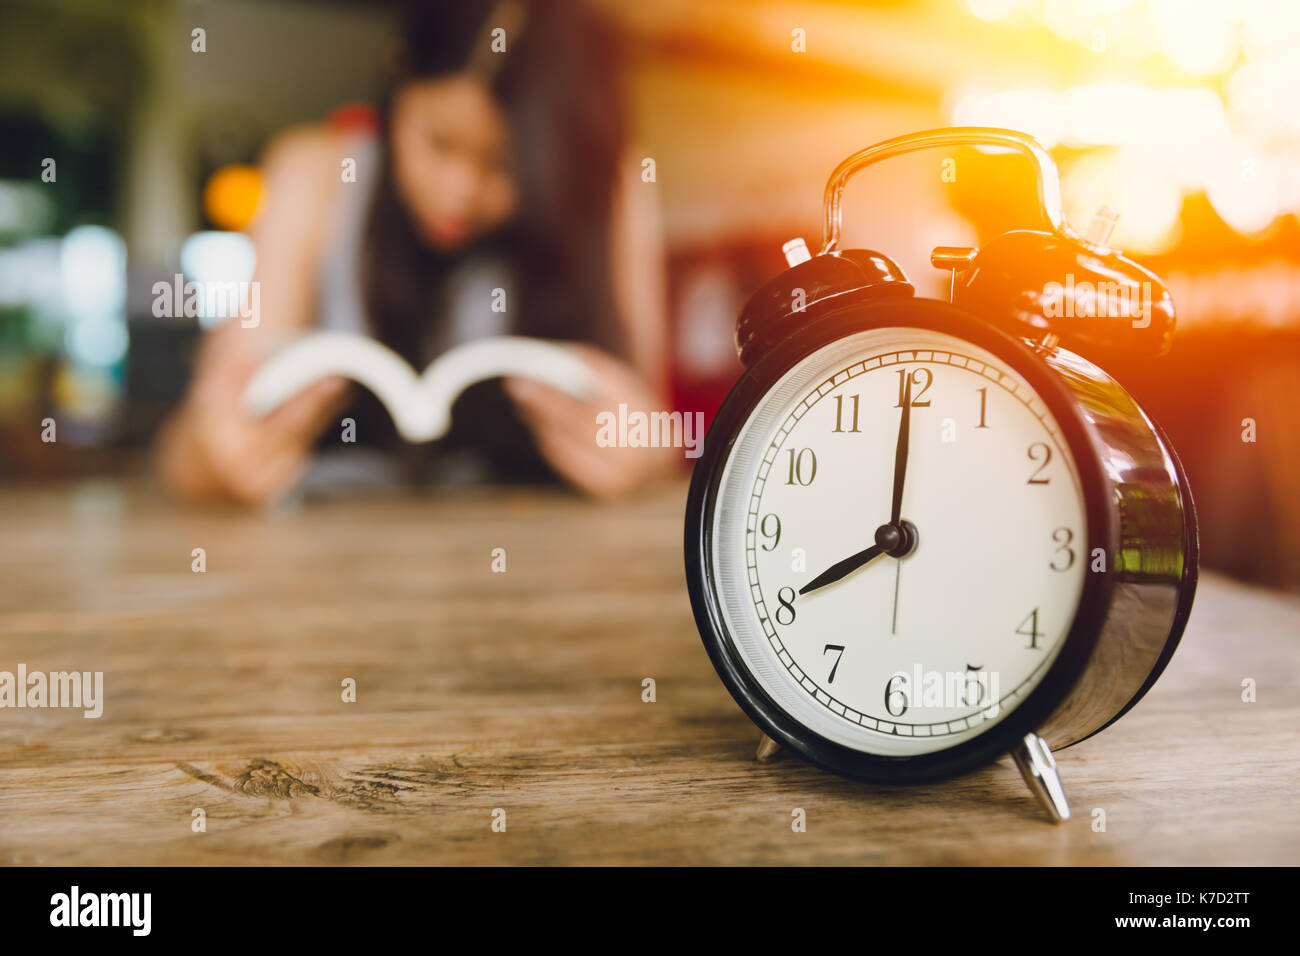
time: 8:00
